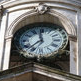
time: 11:37
